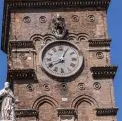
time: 8:04
